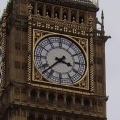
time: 3:37
